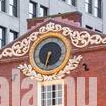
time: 6:32
